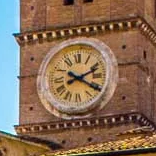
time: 2:20
